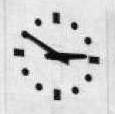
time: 2:50
